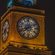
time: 7:40
